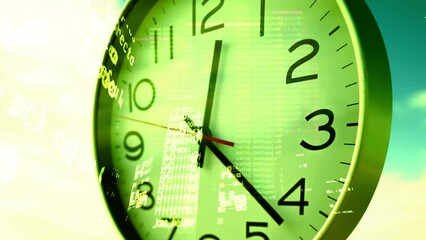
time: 12:22
